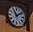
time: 11:08
